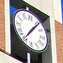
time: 7:06
